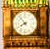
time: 7:53
